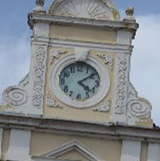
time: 4:09
